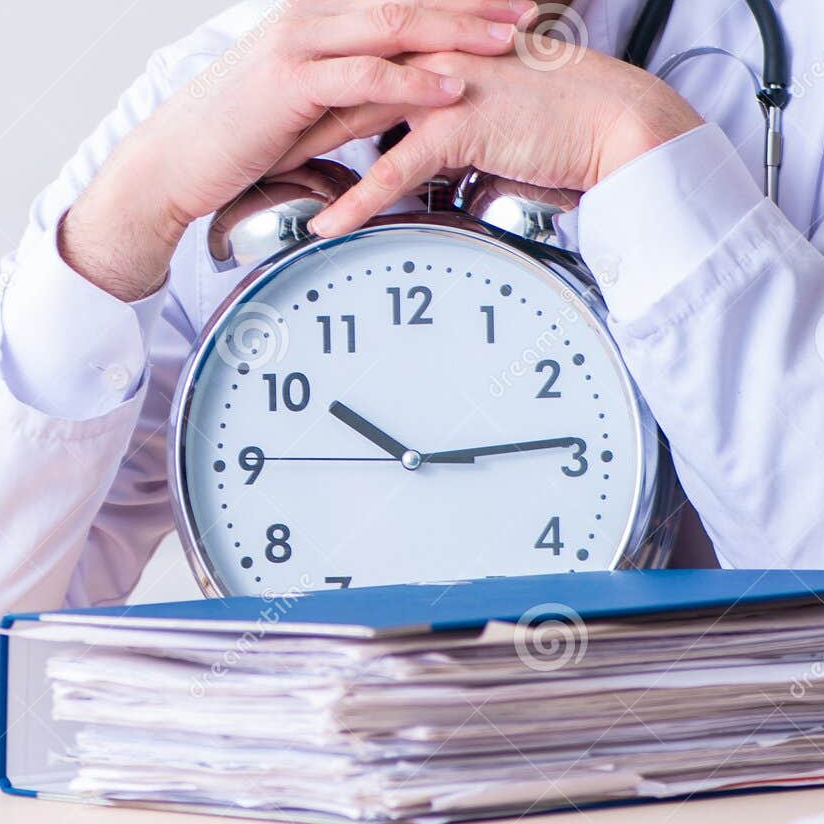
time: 10:14
